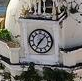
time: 7:07
